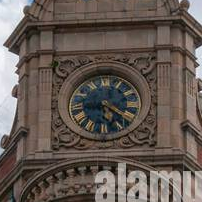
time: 5:20
